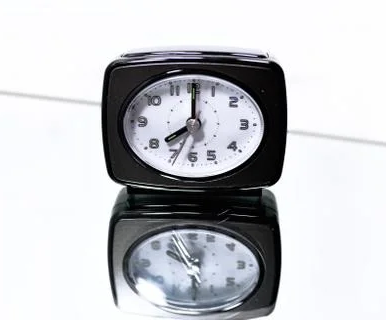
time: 8:01
